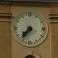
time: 7:36
